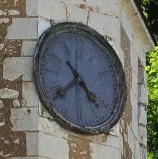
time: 4:38
